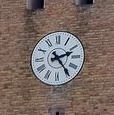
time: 2:24
